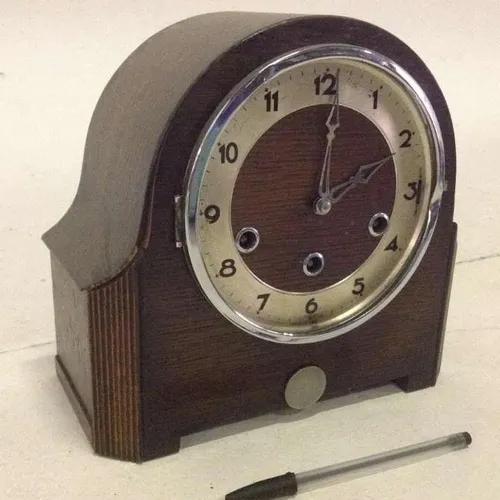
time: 2:01
